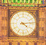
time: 4:13
